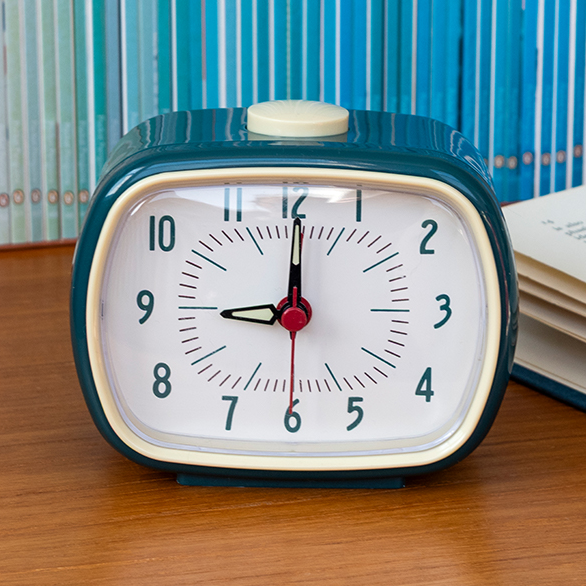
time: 9:00
